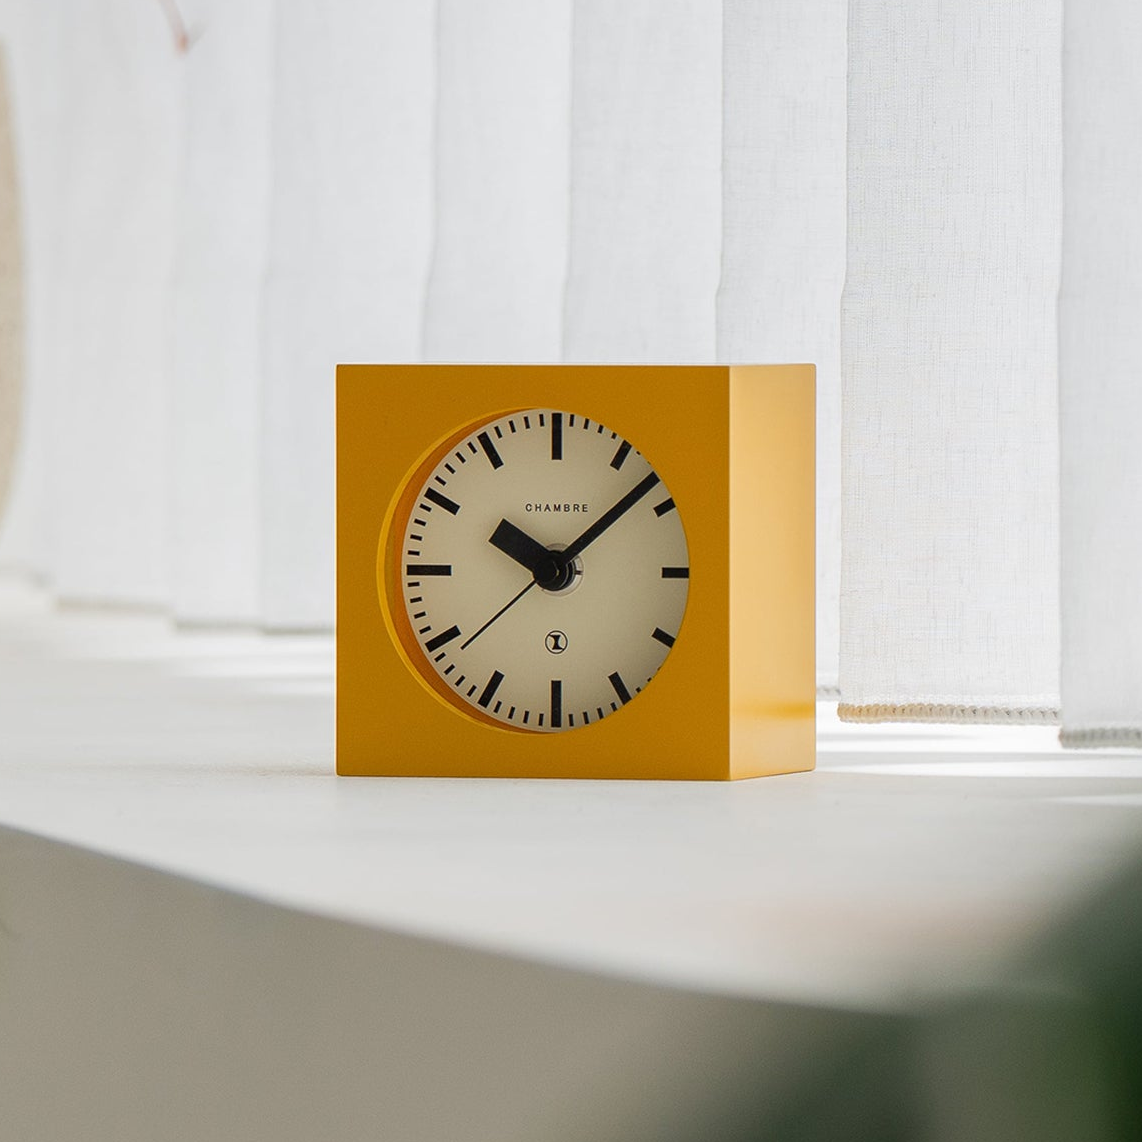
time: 10:07
